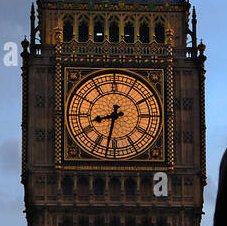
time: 8:32
